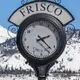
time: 2:22
